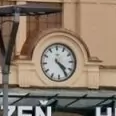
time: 4:24
